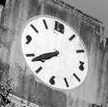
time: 7:38
